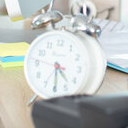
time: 4:29
